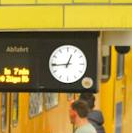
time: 12:44
